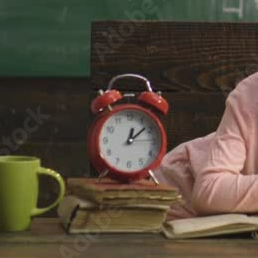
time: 12:07
